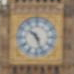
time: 10:26
